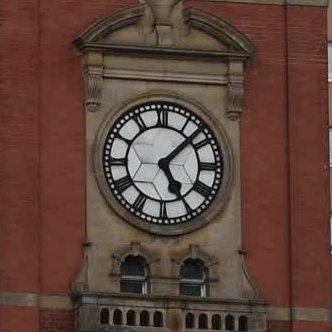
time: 5:07
